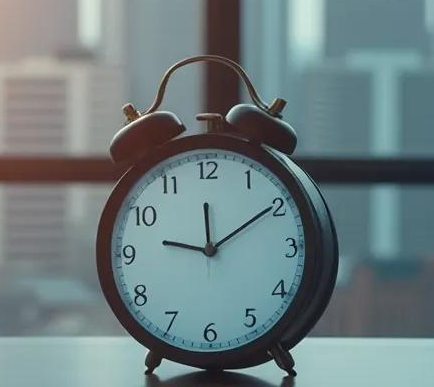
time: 9:09
